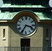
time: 3:35
